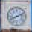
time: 8:11
